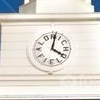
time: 4:01
